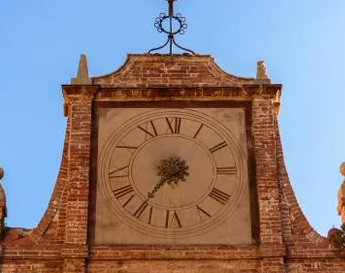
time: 7:36
